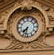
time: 7:32
